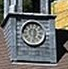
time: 12:28
